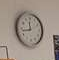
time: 11:43
